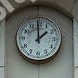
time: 1:59
